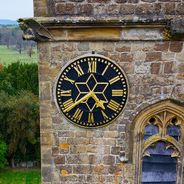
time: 4:38
